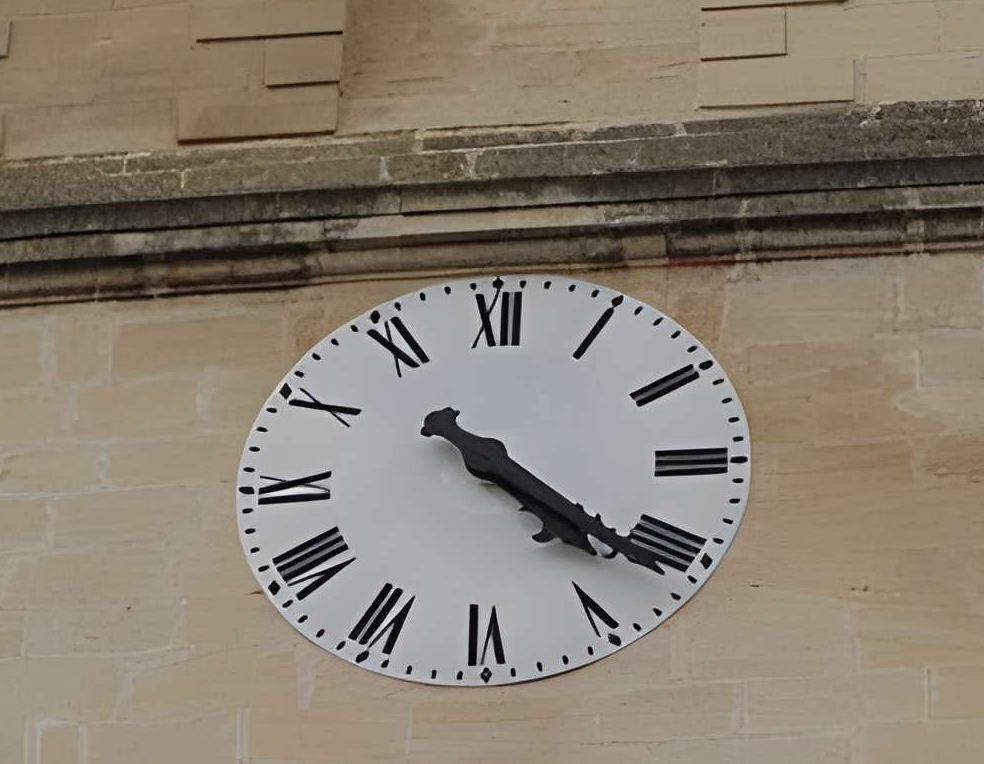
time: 4:21
